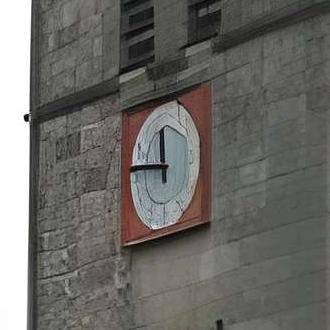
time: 11:46
